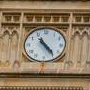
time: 4:23
